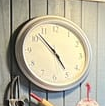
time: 4:52
